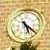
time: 5:21
